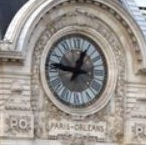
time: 12:46
